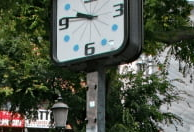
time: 9:45
